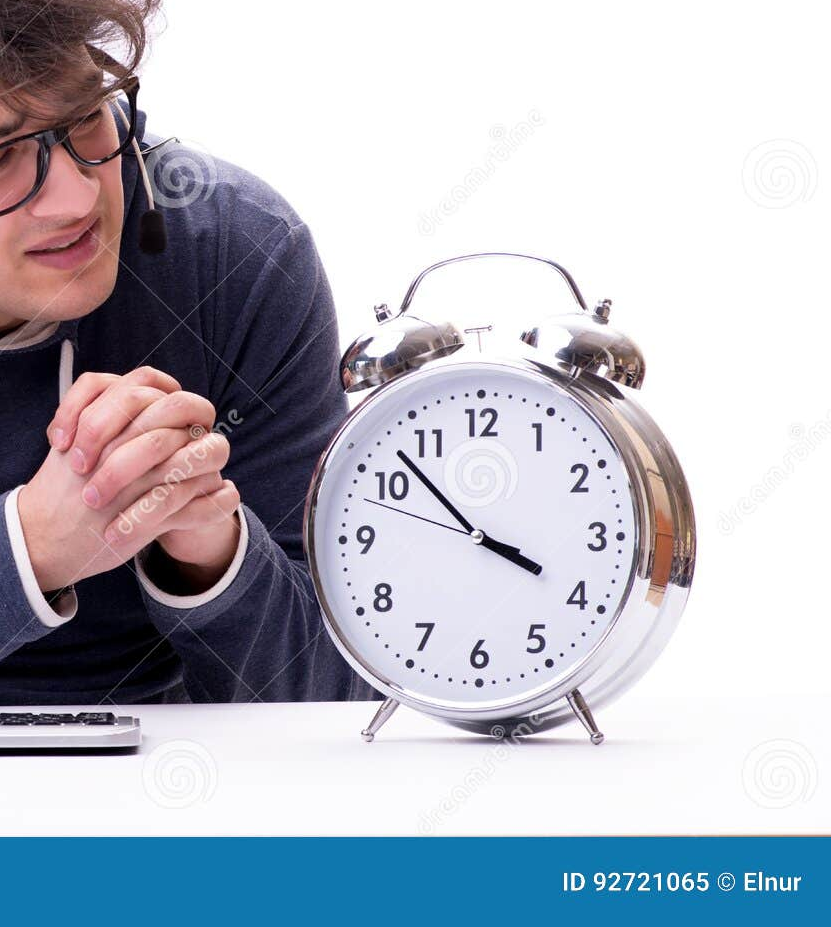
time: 3:52
